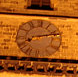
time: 8:12
